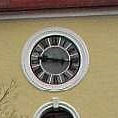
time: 9:16
